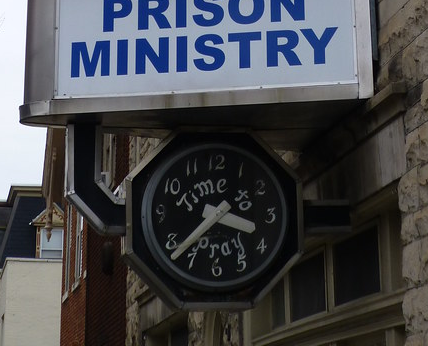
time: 3:37
